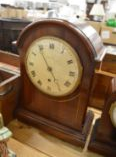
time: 4:54
